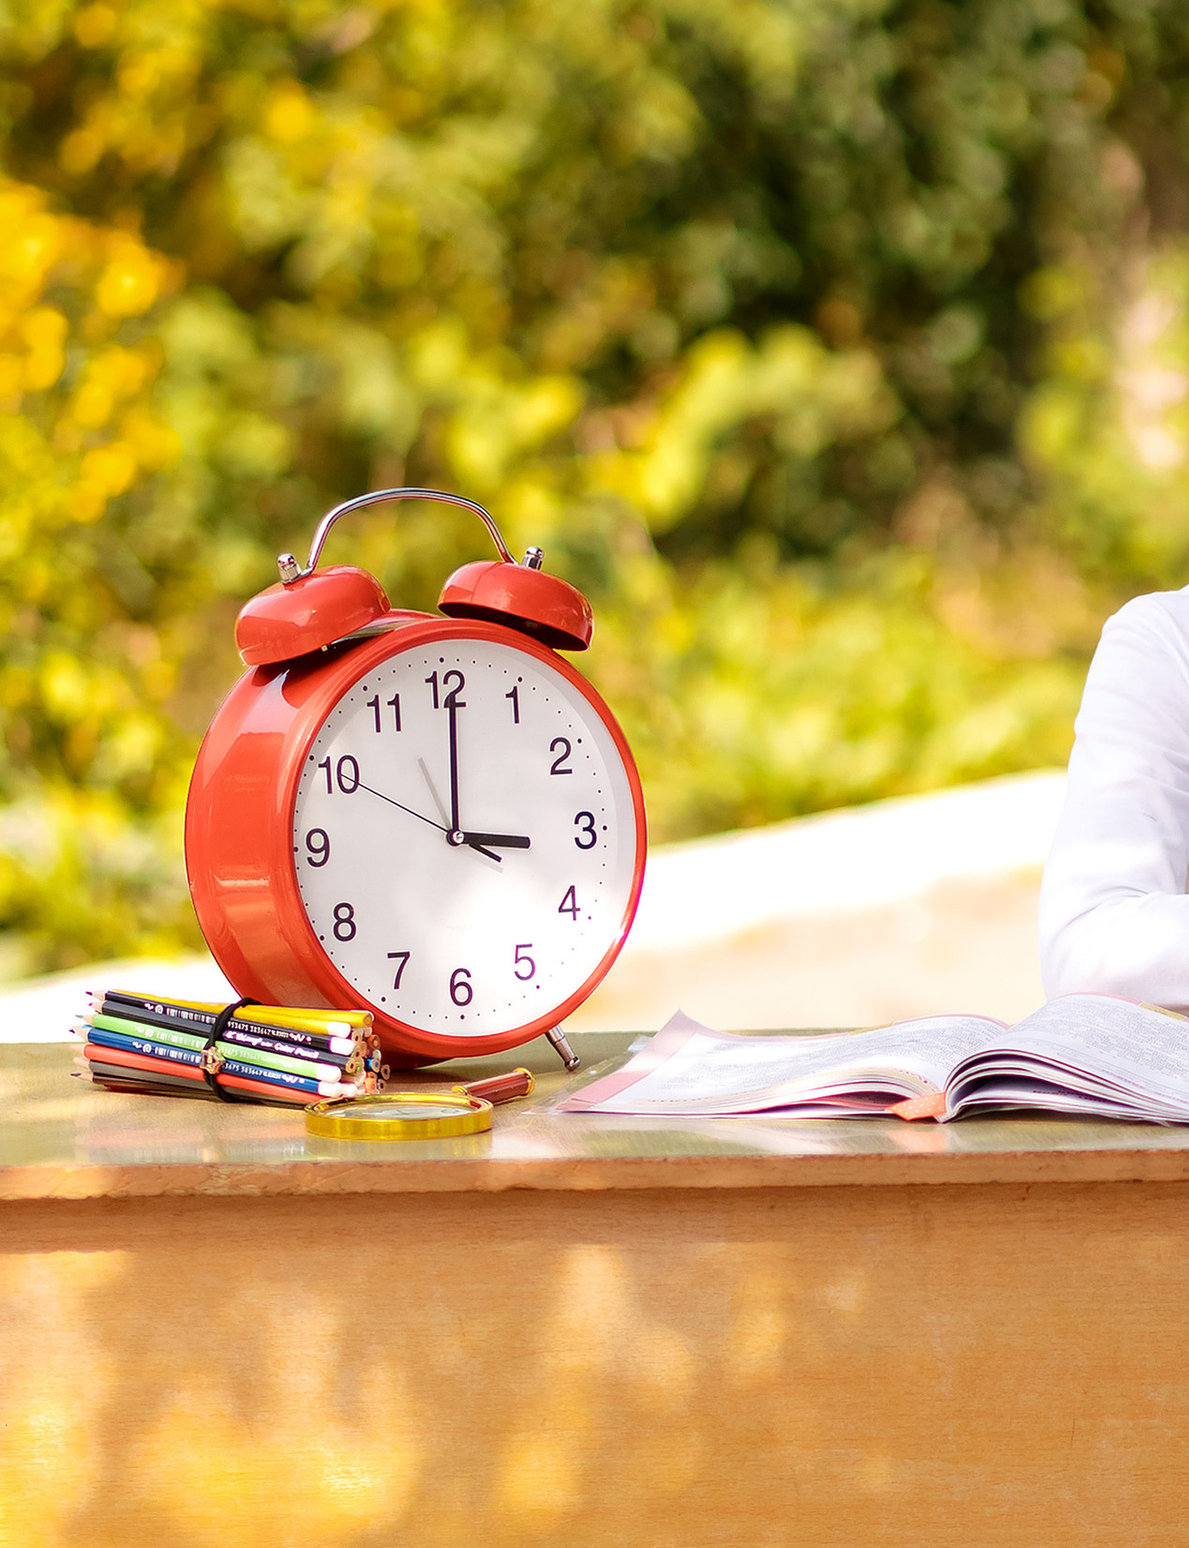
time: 3:00
